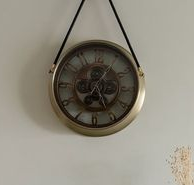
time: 5:05
